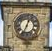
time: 12:33
